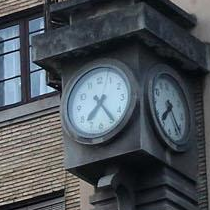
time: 7:24
